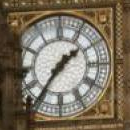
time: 1:36
